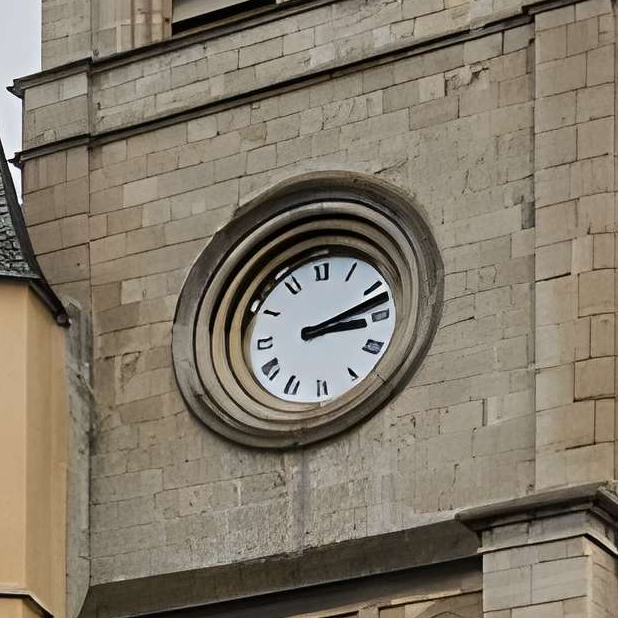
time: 3:12
